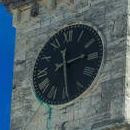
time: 12:13
